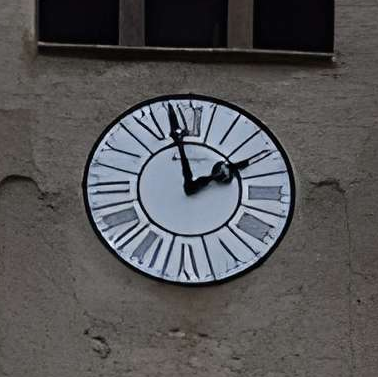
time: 1:57
